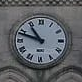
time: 10:48
